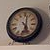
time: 5:01
